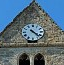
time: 4:22
